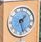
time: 1:27
